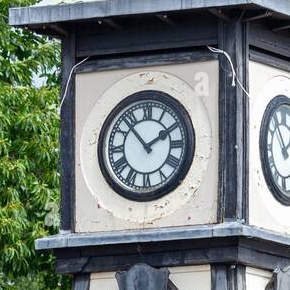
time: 1:53
